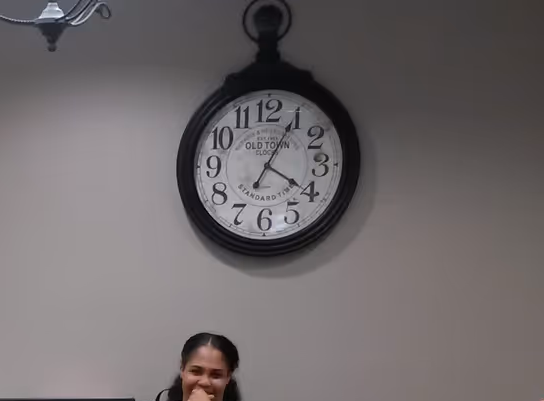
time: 4:04
